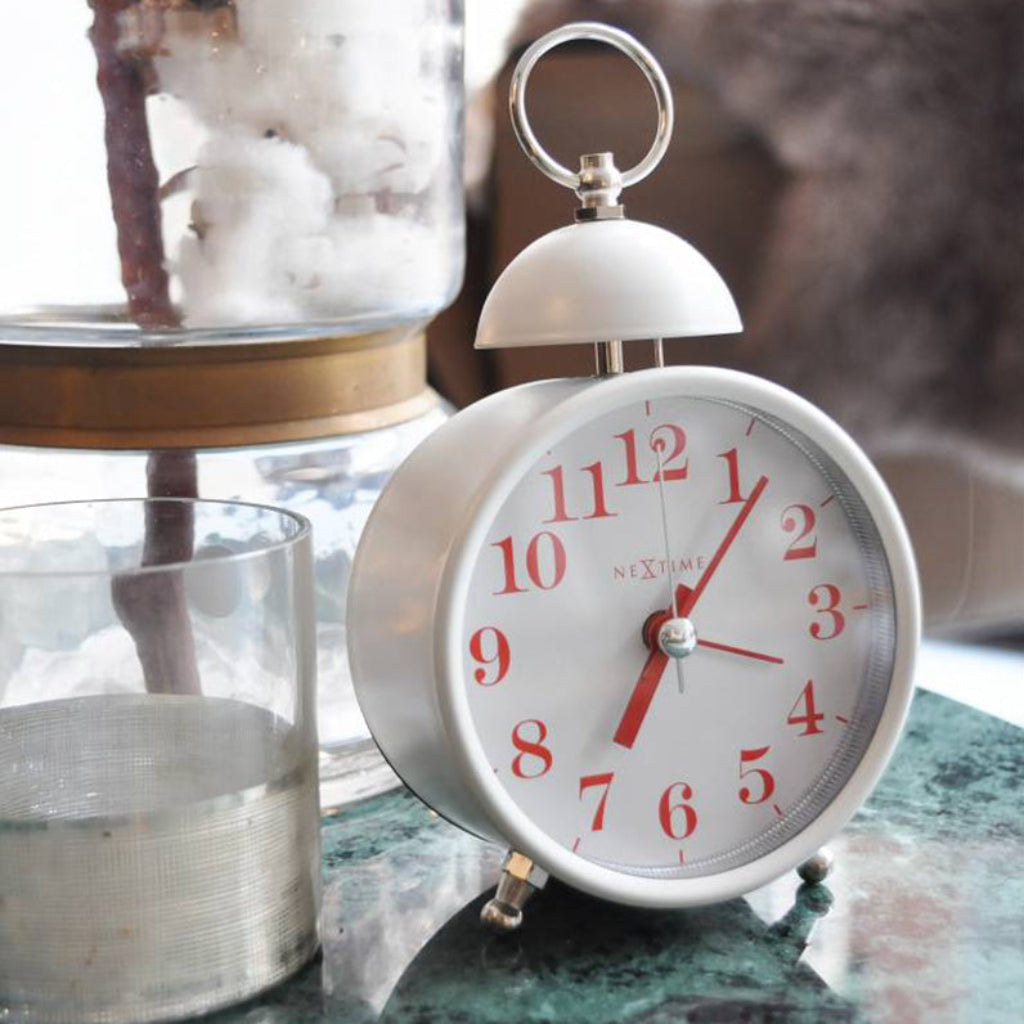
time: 7:06
